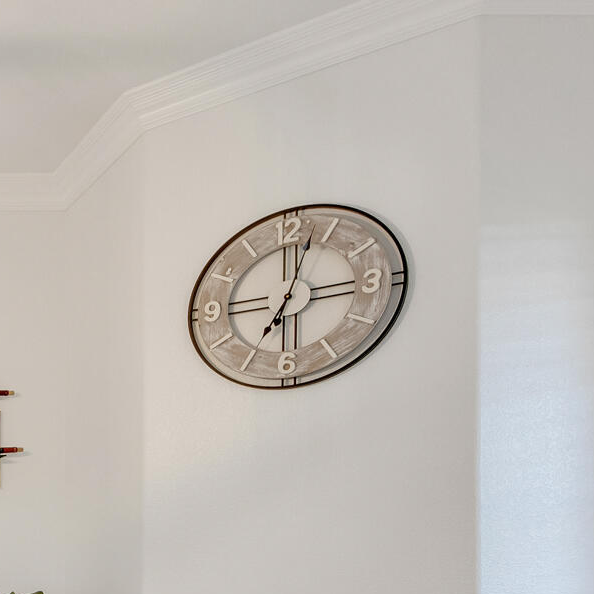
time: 7:02
